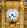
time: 4:37
